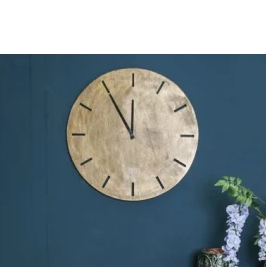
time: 11:54
